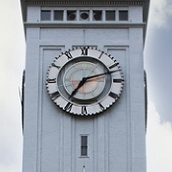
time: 7:12
